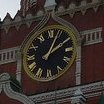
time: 2:04
